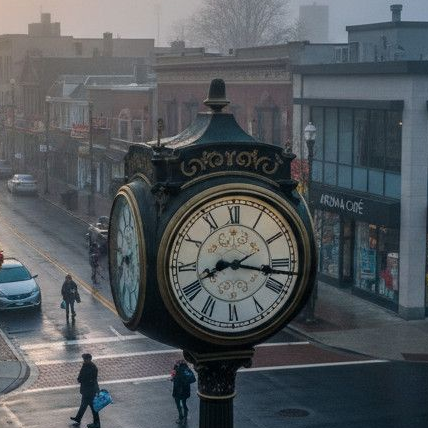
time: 8:17
